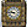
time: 9:45
